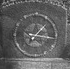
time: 1:16
